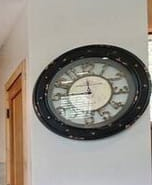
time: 11:46
